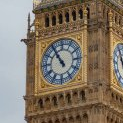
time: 10:55
